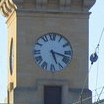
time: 5:17
